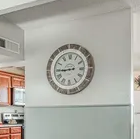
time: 8:44
